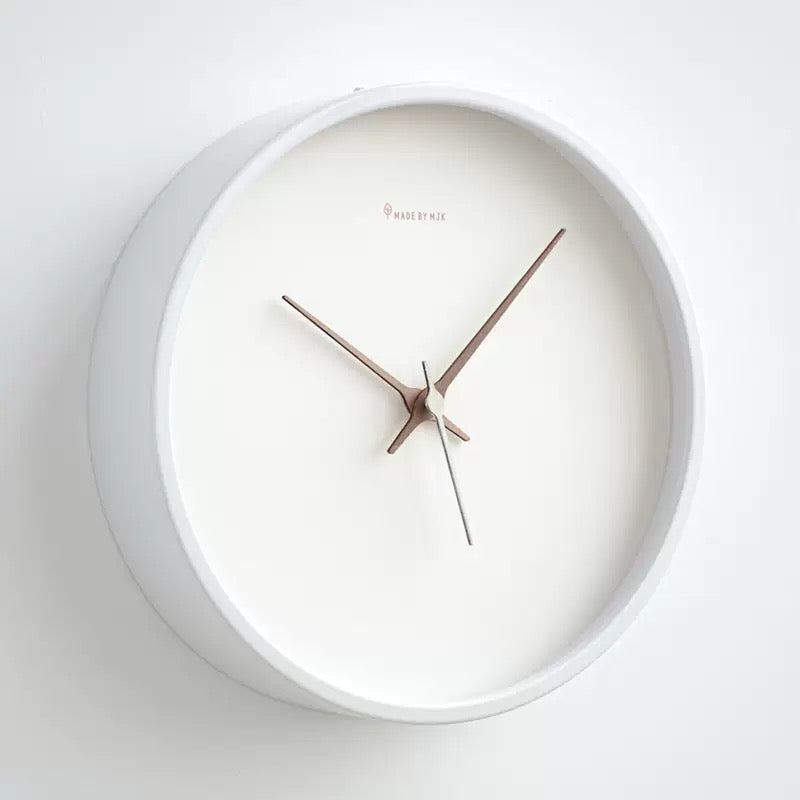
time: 10:07
